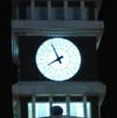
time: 7:55
